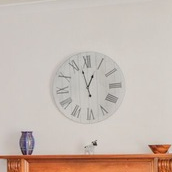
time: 12:57
